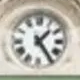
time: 1:24
